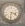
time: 3:31
